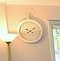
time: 4:09
